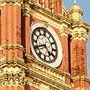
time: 4:40
